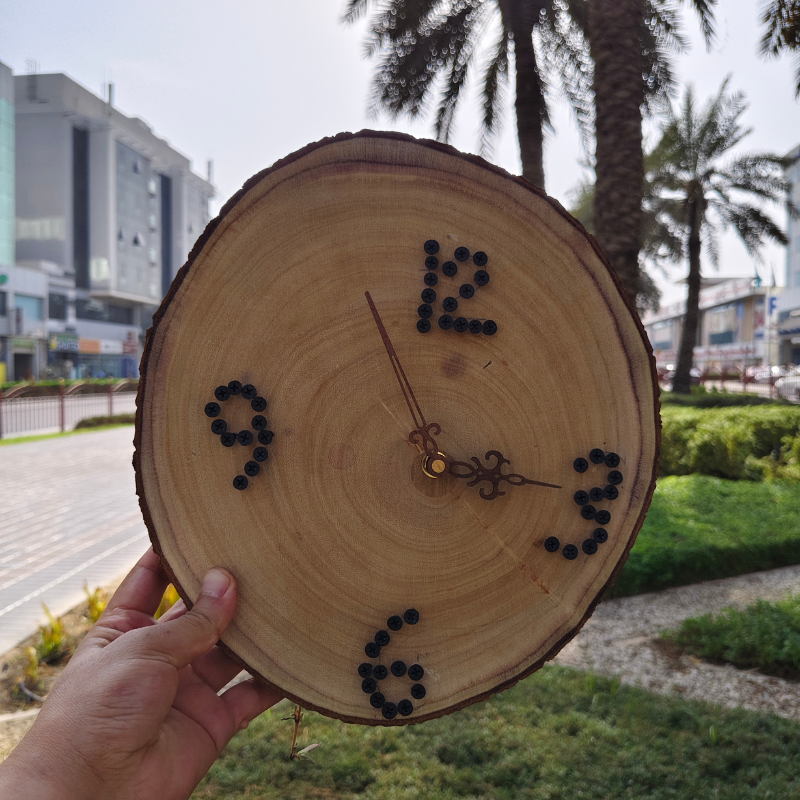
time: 3:55
